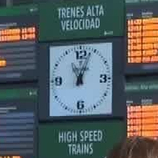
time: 11:03
